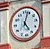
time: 5:03
